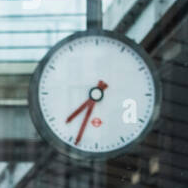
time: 7:33
